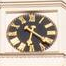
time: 6:21
